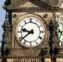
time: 9:38
